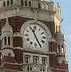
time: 11:25
